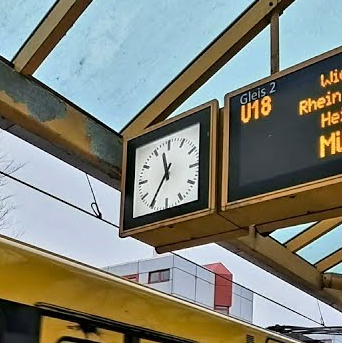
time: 11:35
